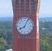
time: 8:04
